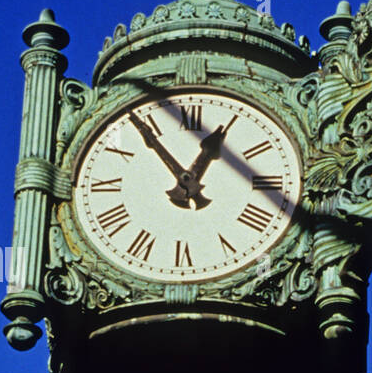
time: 12:53
